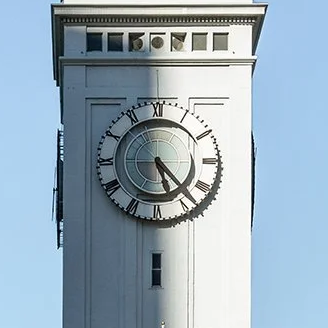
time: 5:23
